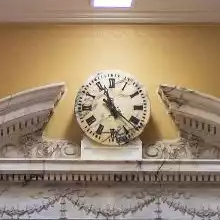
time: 11:21
